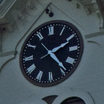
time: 2:23
